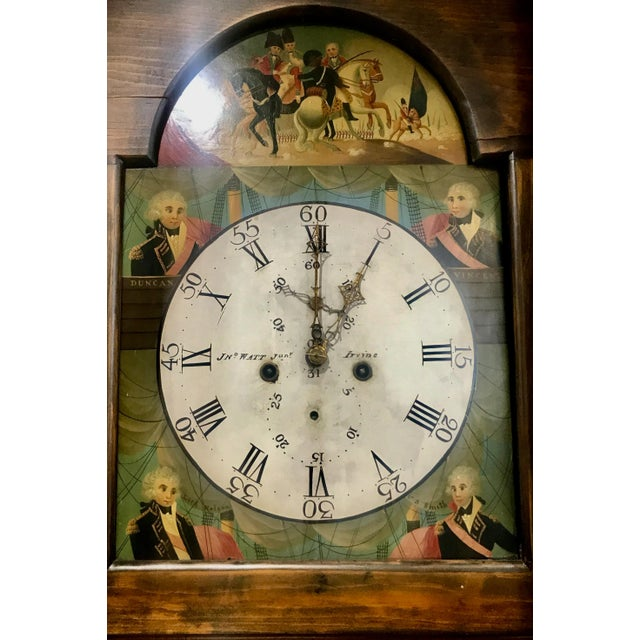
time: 1:00
